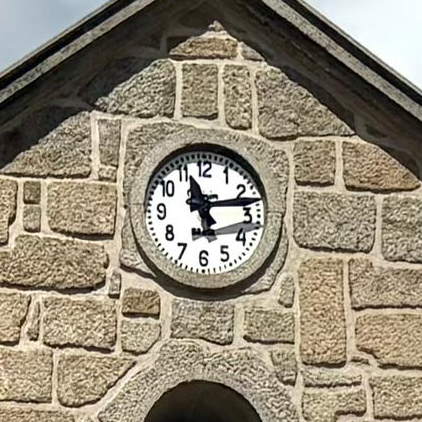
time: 11:13
